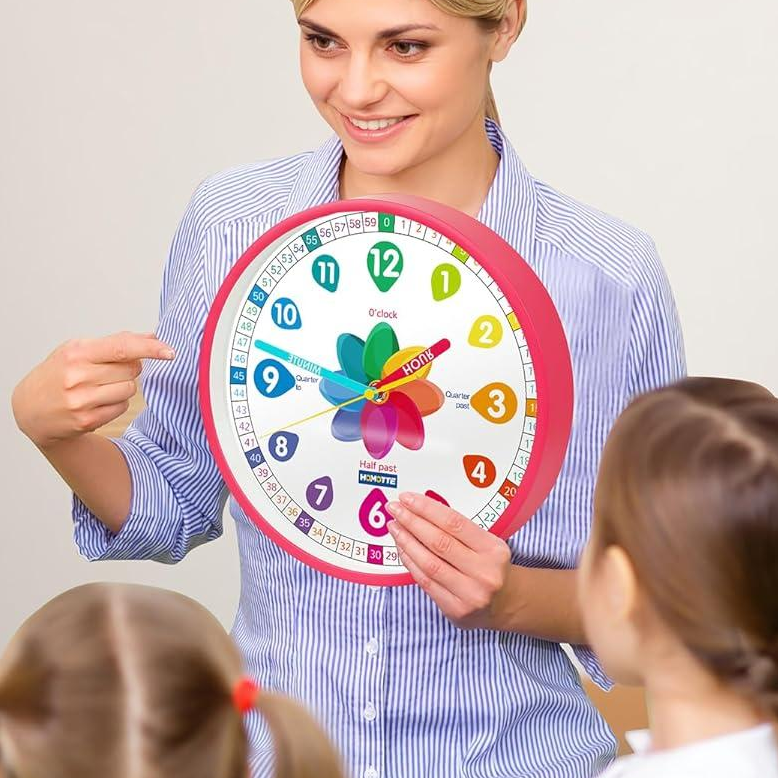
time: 1:47
